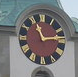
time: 11:13
